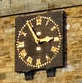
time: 2:54
